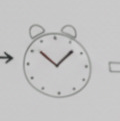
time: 10:07
